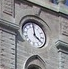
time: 3:58
